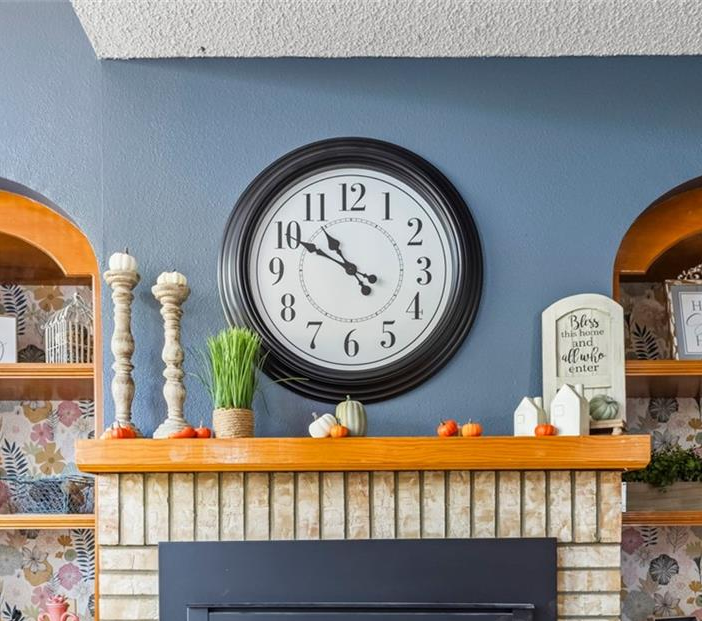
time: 10:49
